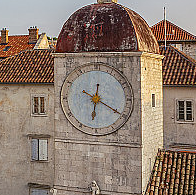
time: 6:20
